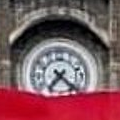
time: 7:22
